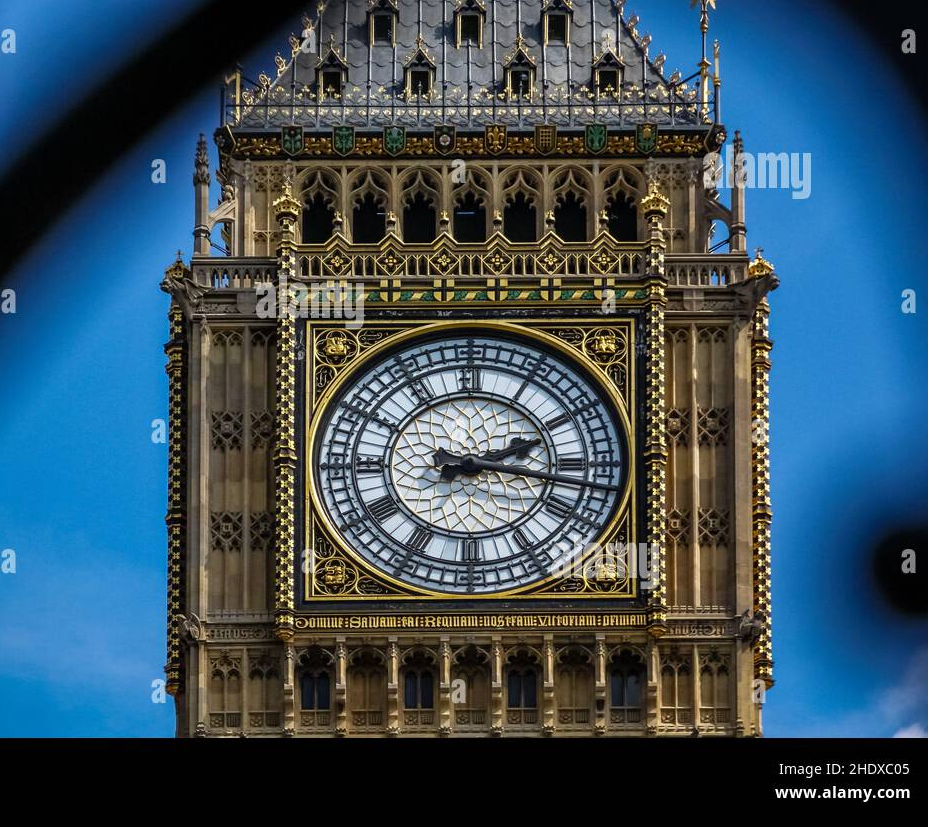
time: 2:16
